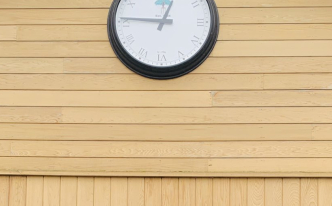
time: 12:45
